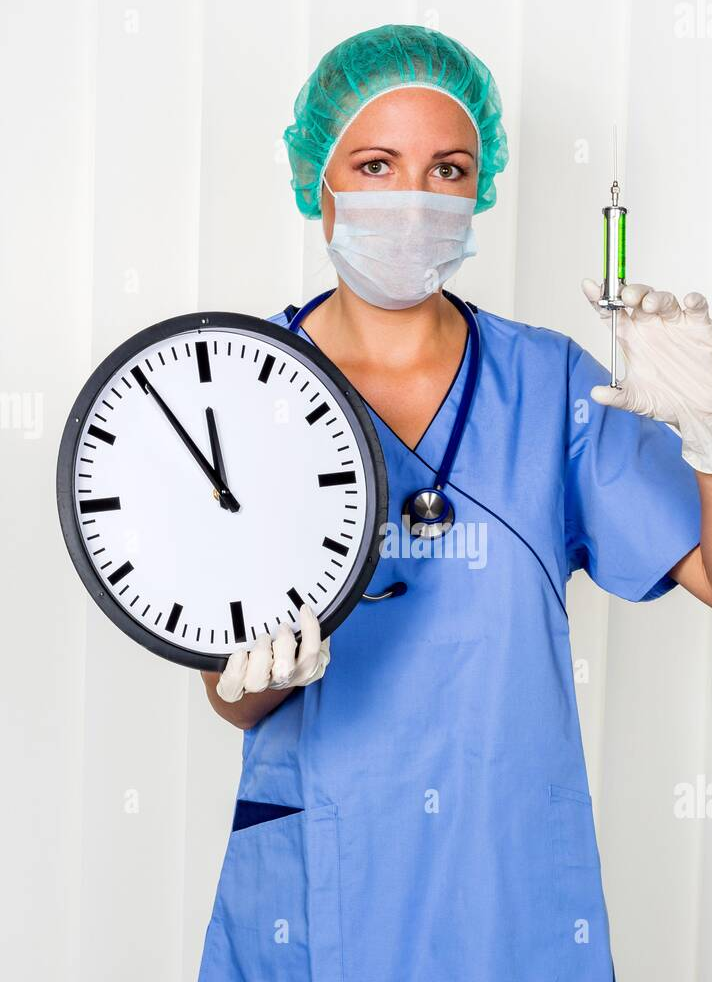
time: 11:54
